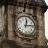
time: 12:13
